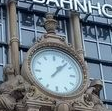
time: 1:07
